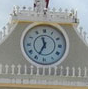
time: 11:34
